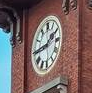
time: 1:44
